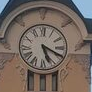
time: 5:19
